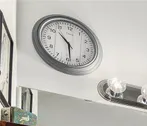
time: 10:28
